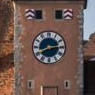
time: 2:40
